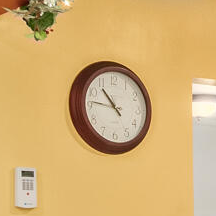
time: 10:46
